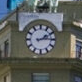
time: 2:14
